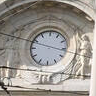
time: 3:48
